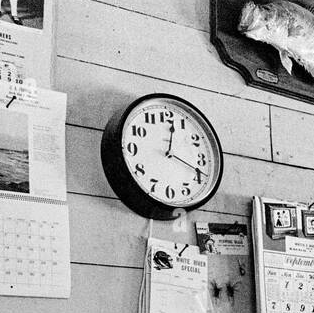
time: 12:18
